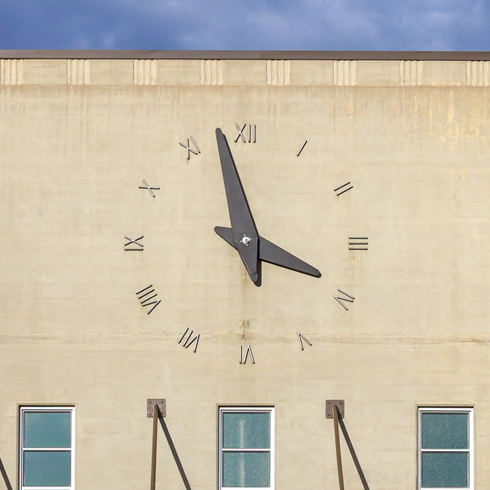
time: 3:57
